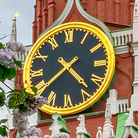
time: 4:38
